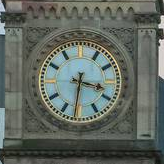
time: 3:31
